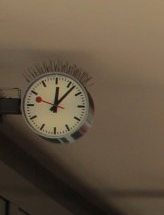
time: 12:06
